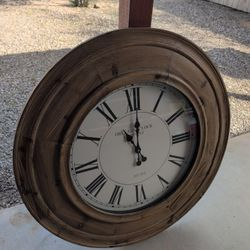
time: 11:00
